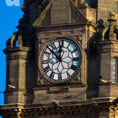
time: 11:52
